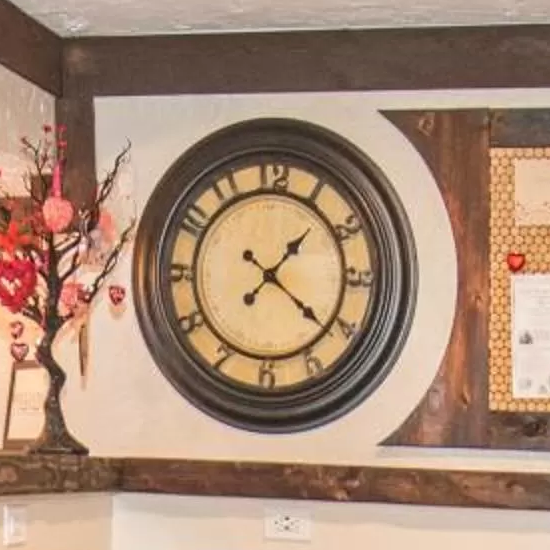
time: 1:21
